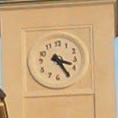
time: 3:24
